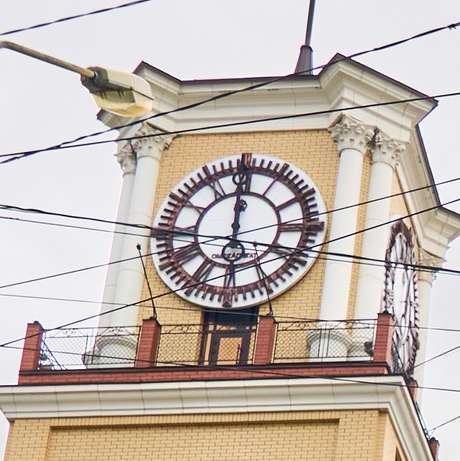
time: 11:59
